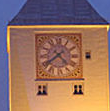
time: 4:38
